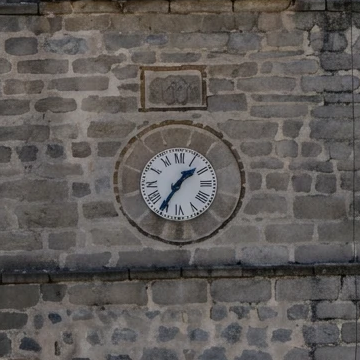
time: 1:35
